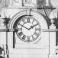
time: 1:49
